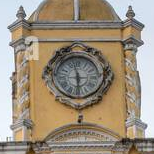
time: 5:57
